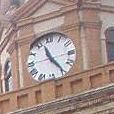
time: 11:24
